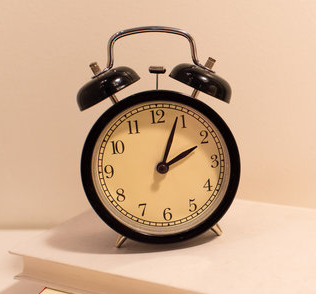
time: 2:03
